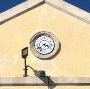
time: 3:38
